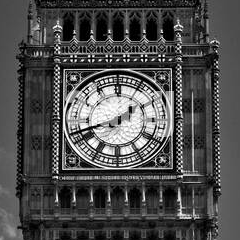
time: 1:42
